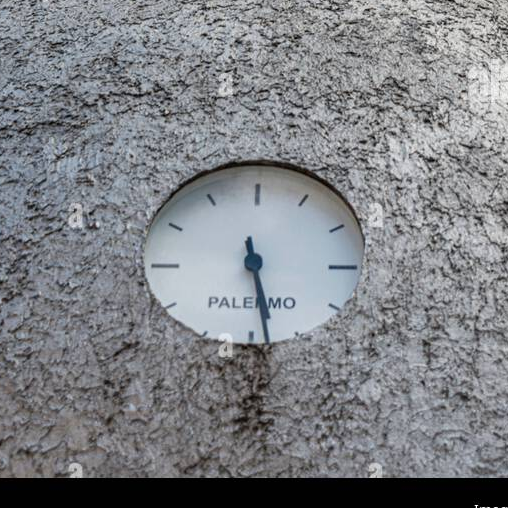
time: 5:28
